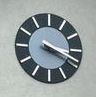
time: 3:18
